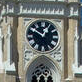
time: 12:50
